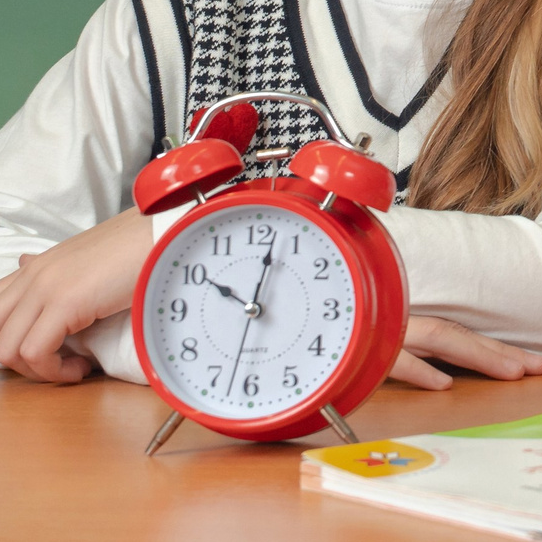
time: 10:02
